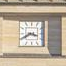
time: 3:40
